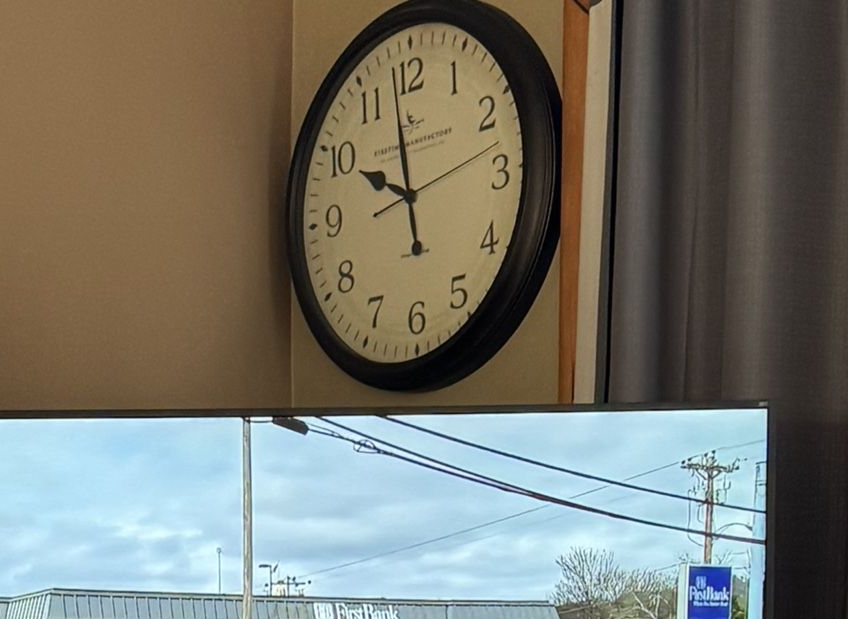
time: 9:58
